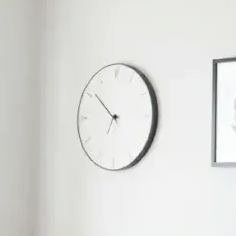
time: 6:51
